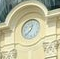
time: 12:37
